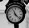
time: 11:22
